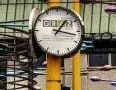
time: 1:16
